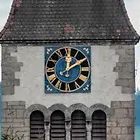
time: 12:09
